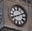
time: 8:10
